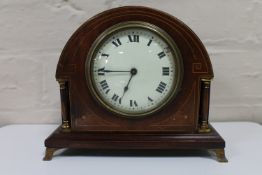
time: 6:45
